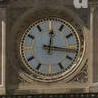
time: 12:16
